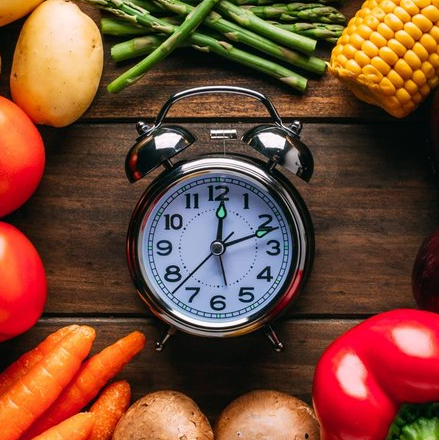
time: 12:11
